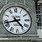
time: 4:42
